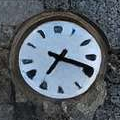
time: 7:18
